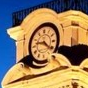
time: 9:21
